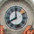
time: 7:59
